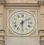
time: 6:08
